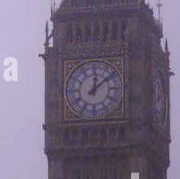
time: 12:08
